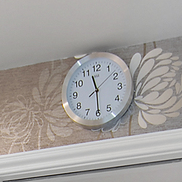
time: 11:29
